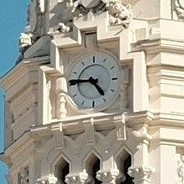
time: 4:46
